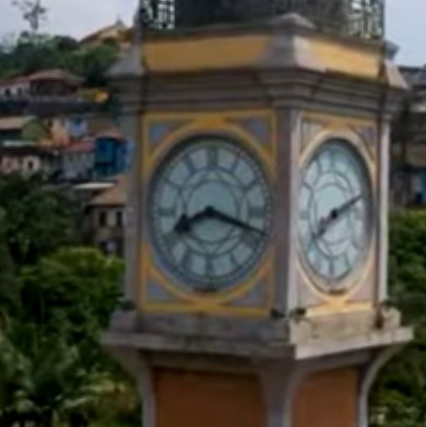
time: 8:18
